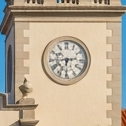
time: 6:13
